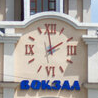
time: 1:58
